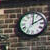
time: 2:01
